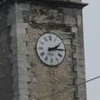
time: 2:15
